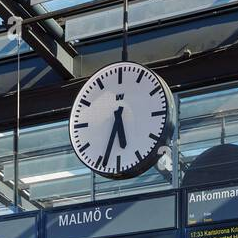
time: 5:33
